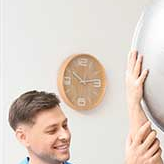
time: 10:13
